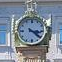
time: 3:21
